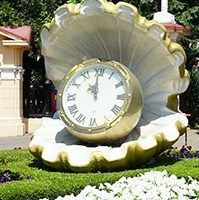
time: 10:59
